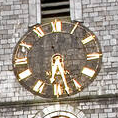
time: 6:27
